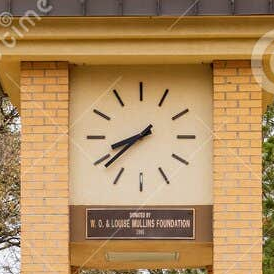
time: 8:38
